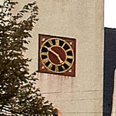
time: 4:49
